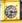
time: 6:15
